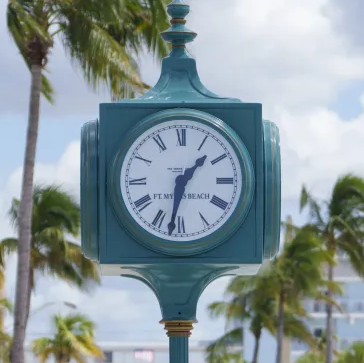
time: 1:32
